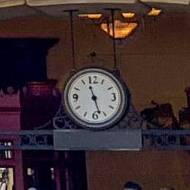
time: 11:27
